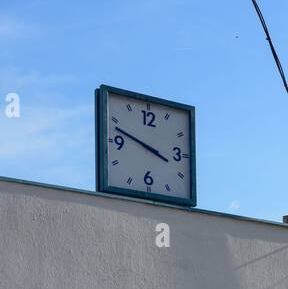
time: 3:48
